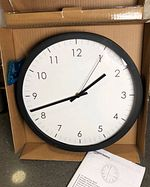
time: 1:42
